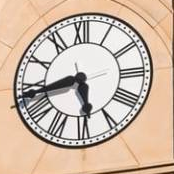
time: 5:43
